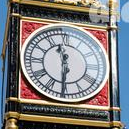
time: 11:30
